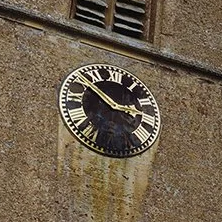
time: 2:50
